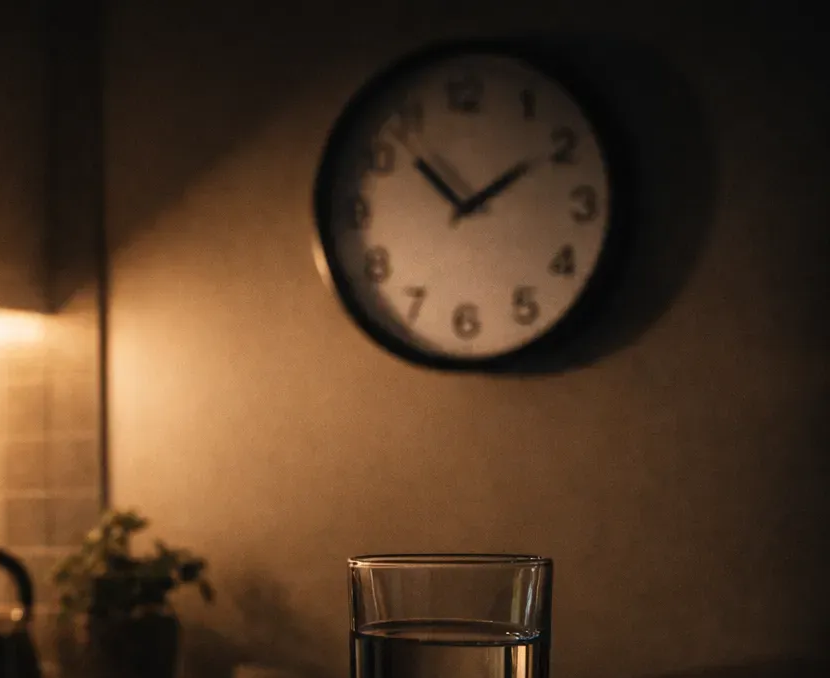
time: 1:52
